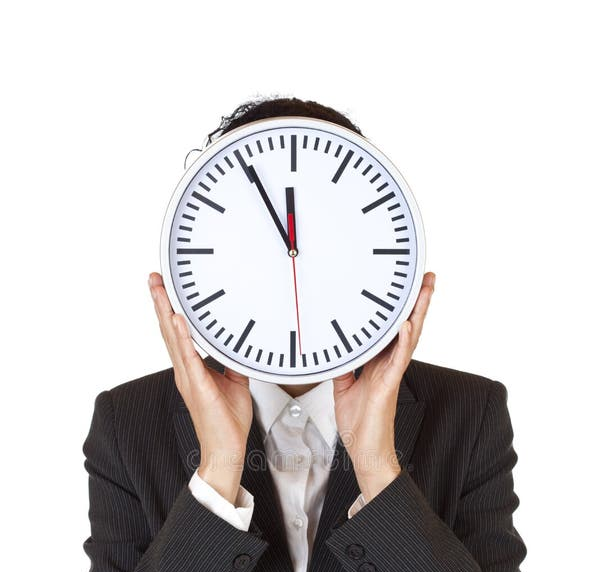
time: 11:55
